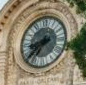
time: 8:37
